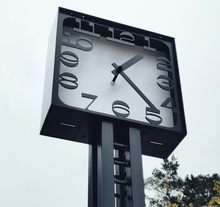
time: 1:22
